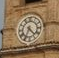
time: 4:34
